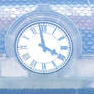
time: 3:58
